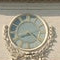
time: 8:21
